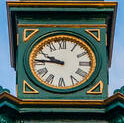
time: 9:45
